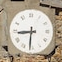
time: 8:31
